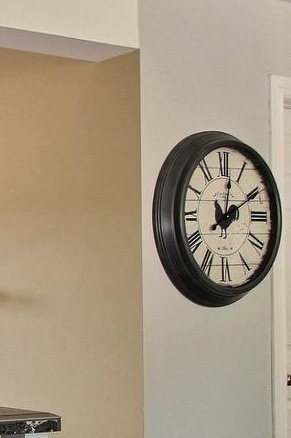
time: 2:01
